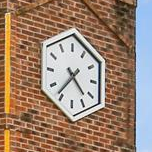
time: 4:36
